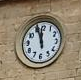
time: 11:56
